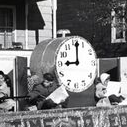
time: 9:01
